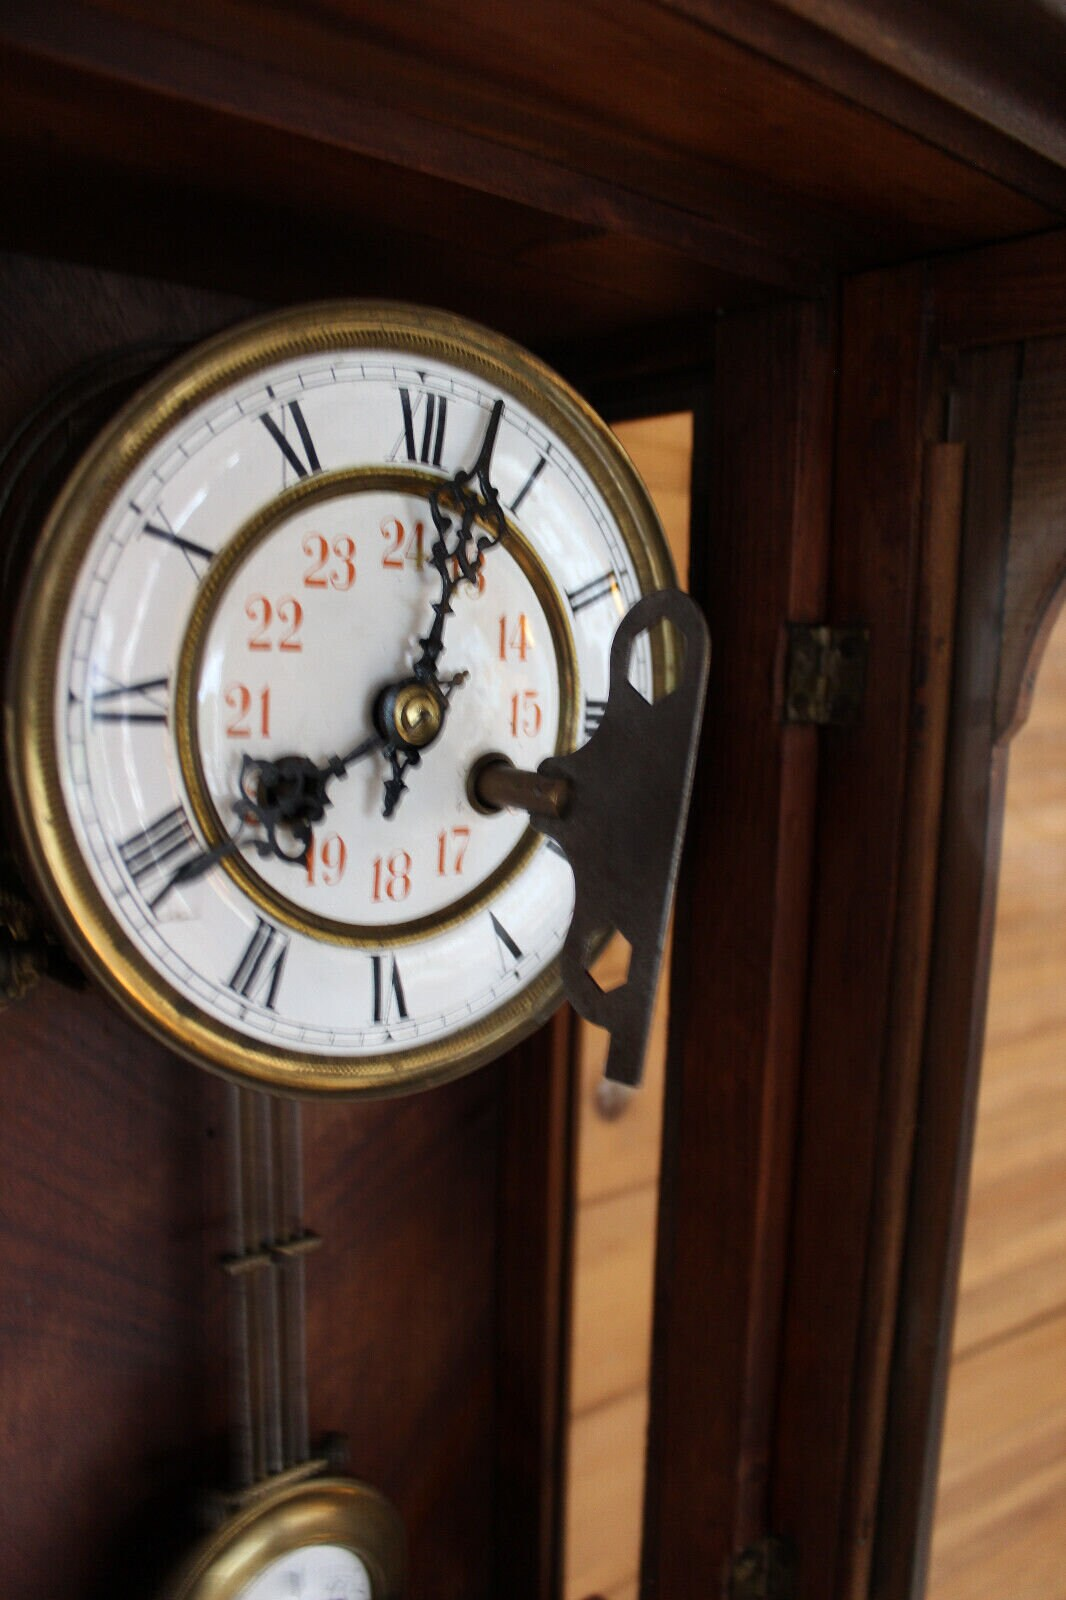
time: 8:02
